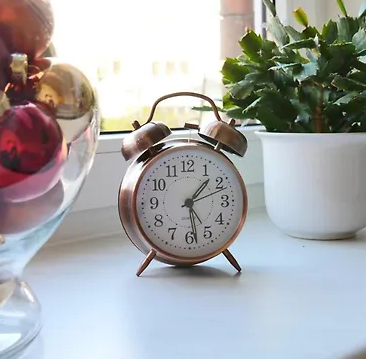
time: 1:28
